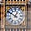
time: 12:50
